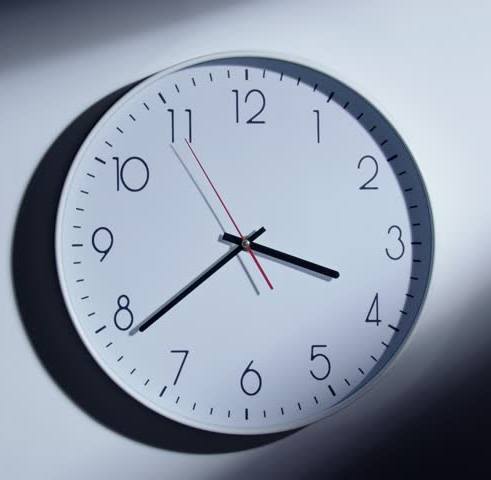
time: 3:38
